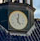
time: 5:01
